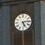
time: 5:14
